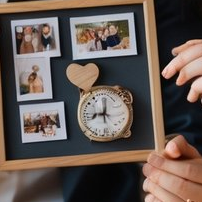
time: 9:01
